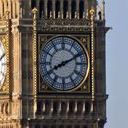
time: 8:11
